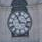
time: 11:16
